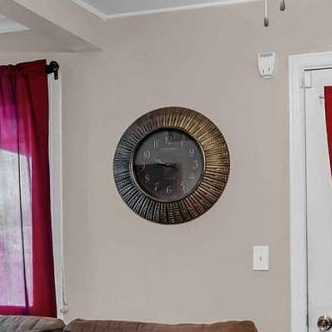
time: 9:45
